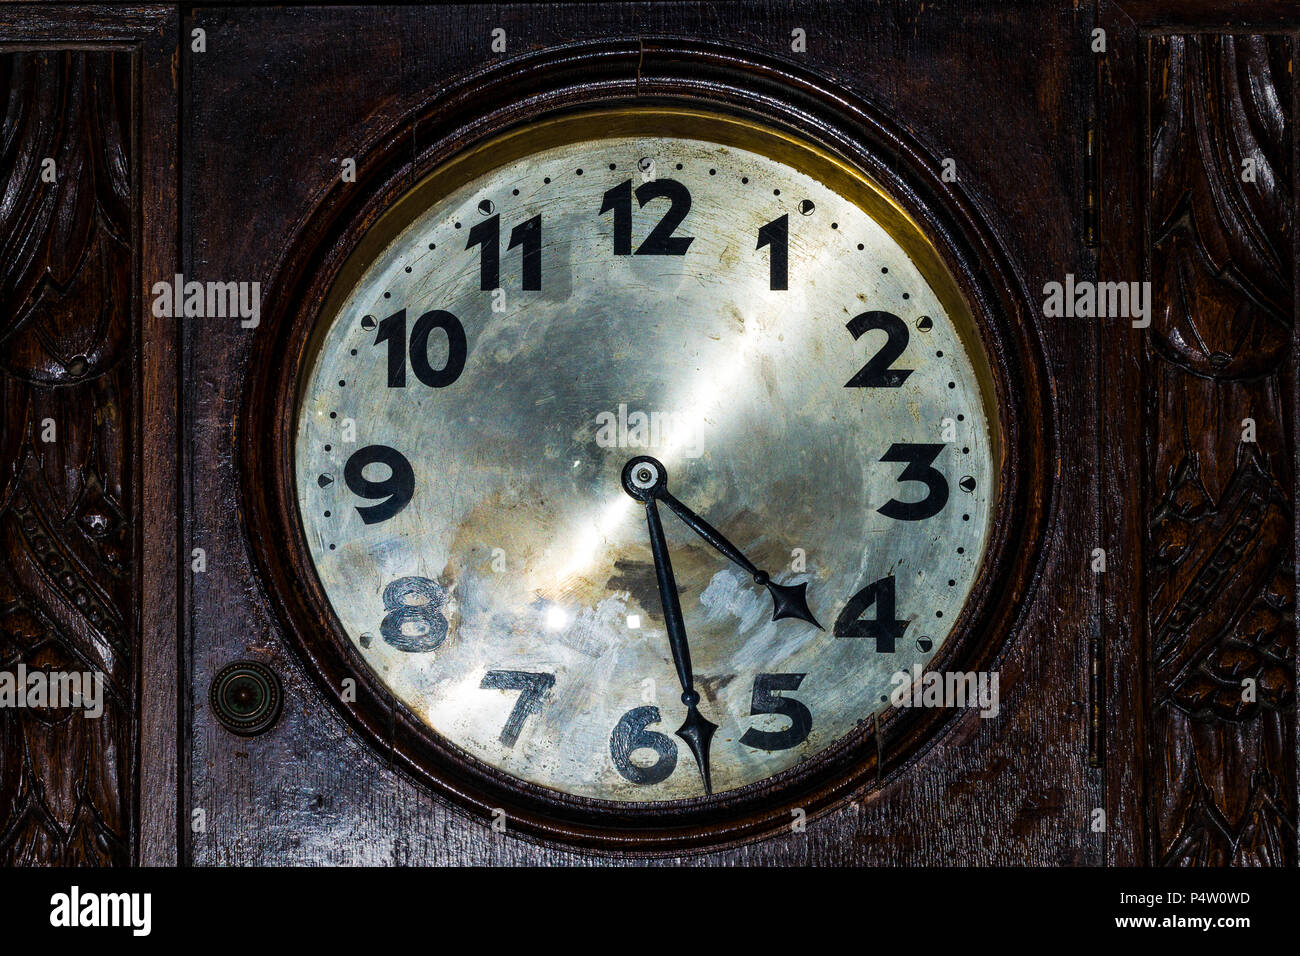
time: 4:28
